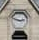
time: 2:48
